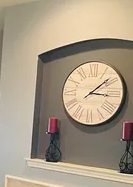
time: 3:08
